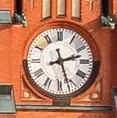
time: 2:26
